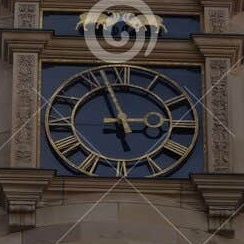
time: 2:57
